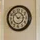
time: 2:53
